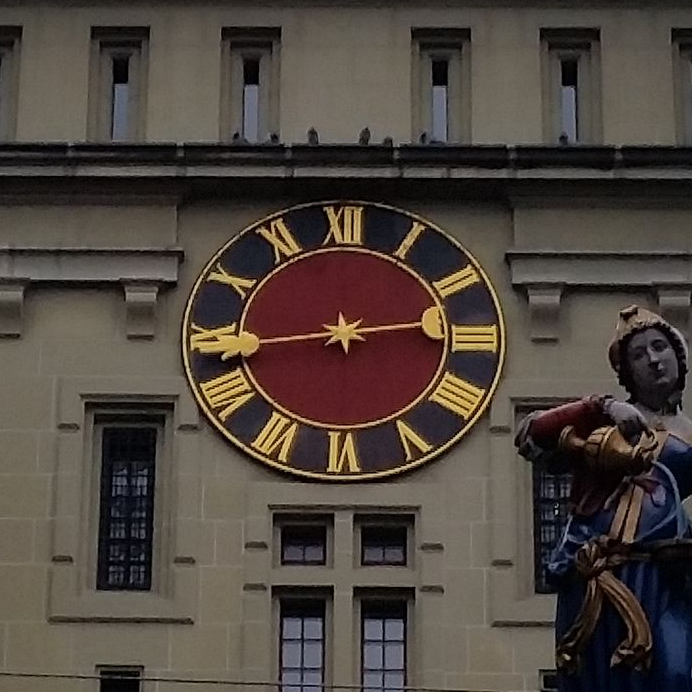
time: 2:43
